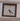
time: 5:21
